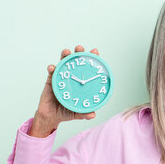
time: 10:12
